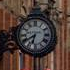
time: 6:40
